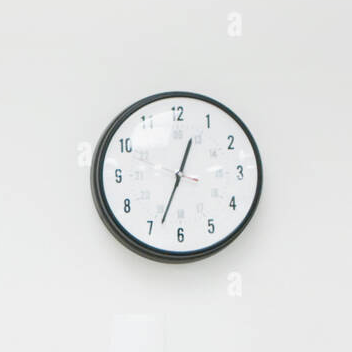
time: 12:33
